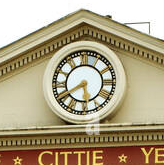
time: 5:40
